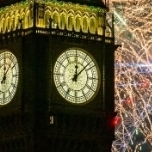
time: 12:07
